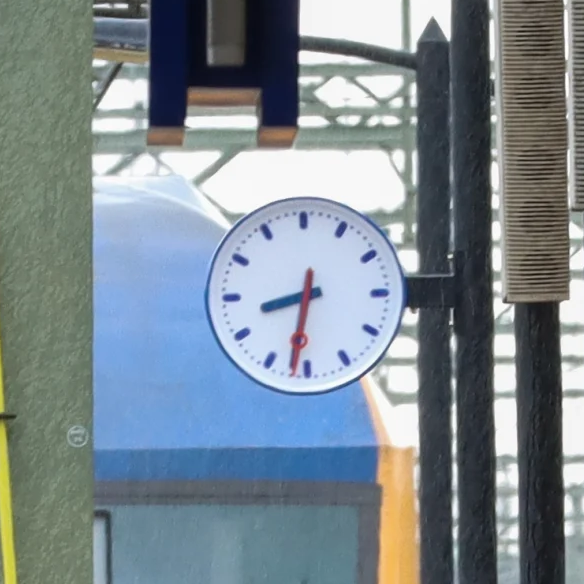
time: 8:31
